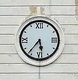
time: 5:36
